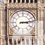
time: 3:13
